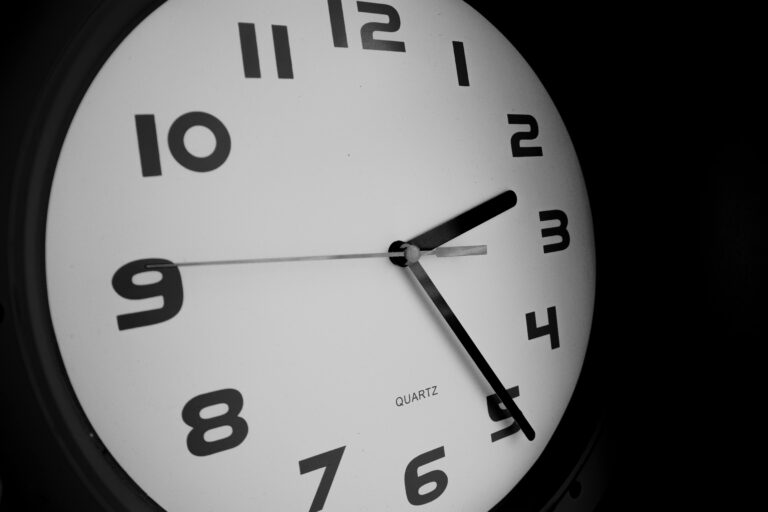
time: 2:24
